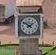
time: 1:50
